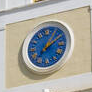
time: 1:09
